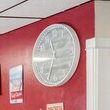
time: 11:33
